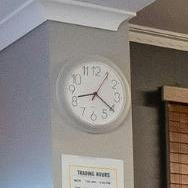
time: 8:20
